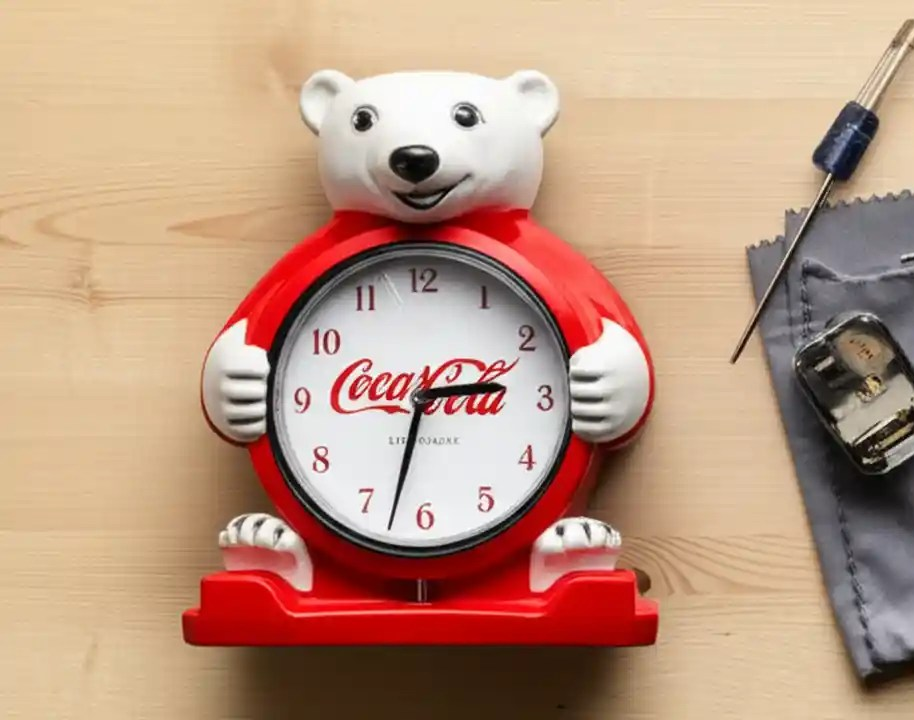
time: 2:32
